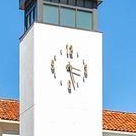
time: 3:27
